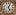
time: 5:03
